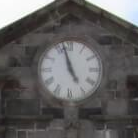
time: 4:57
